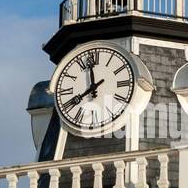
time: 7:58
